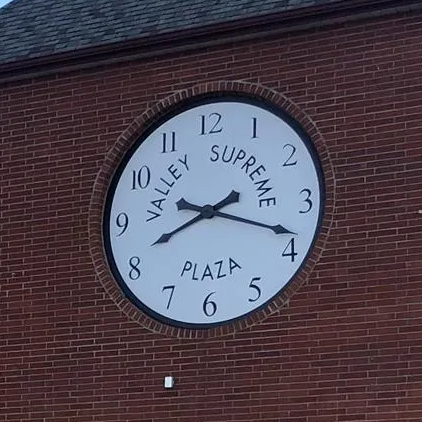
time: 8:18
